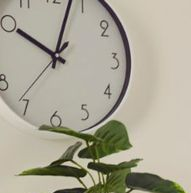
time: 10:03
